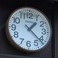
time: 1:21
